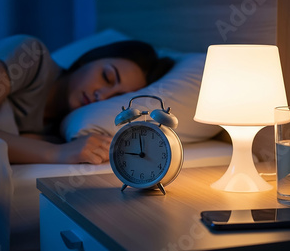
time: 11:45
